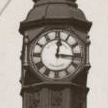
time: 12:16
